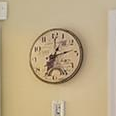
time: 2:34
